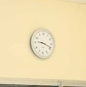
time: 9:18
